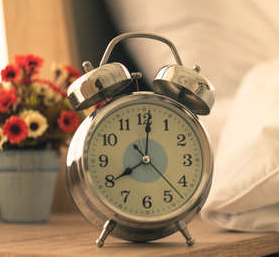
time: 8:01
